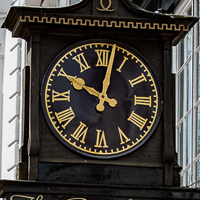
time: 10:02
